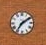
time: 7:09
